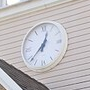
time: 12:37
